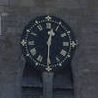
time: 12:30
